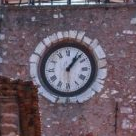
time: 1:07
